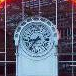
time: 8:36
